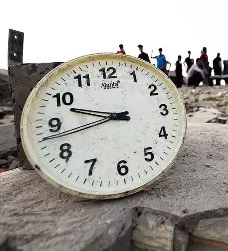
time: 9:42
